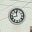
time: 11:42
